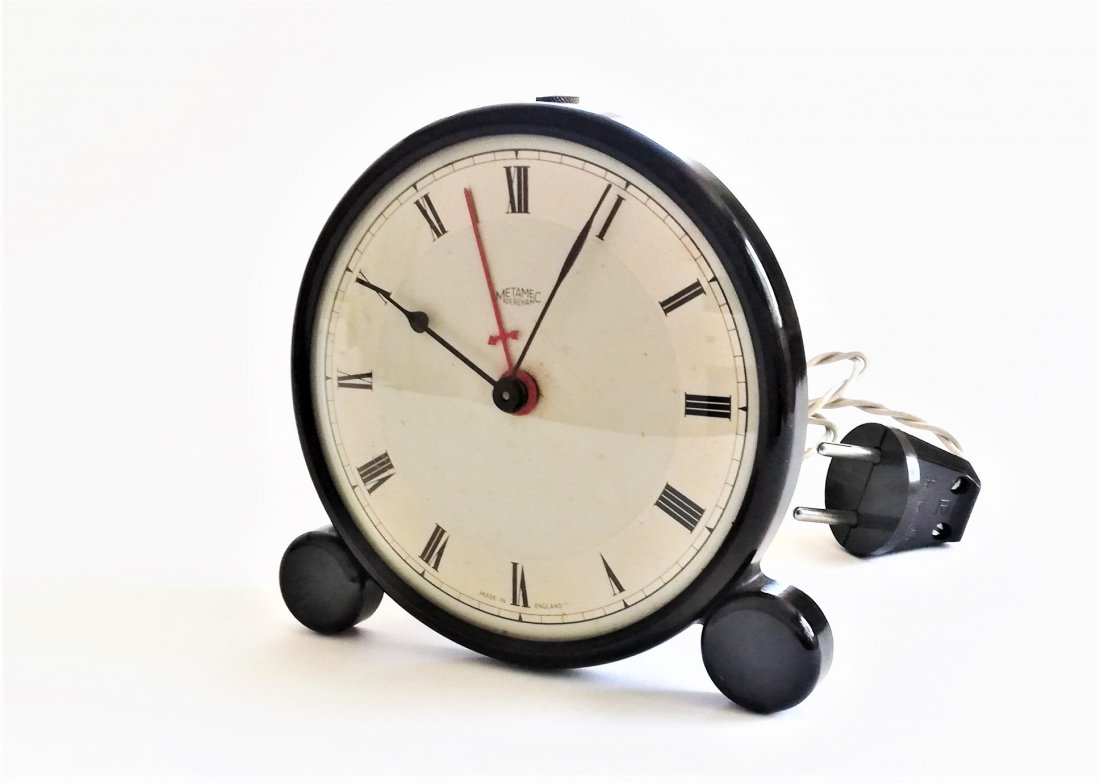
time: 10:04
